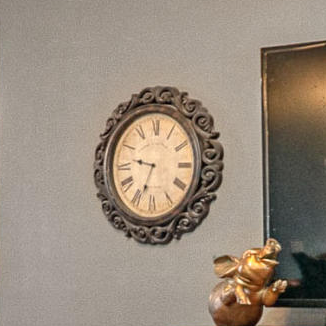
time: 9:33
